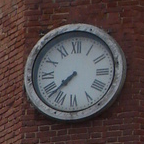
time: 7:37
